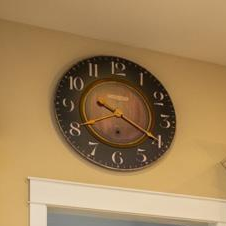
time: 9:20
